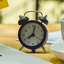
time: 8:01
